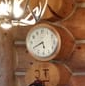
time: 5:40
